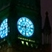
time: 8:30
